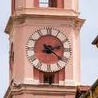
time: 2:21
